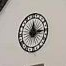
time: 12:14
